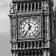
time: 11:35
